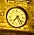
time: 7:24
